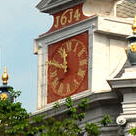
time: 11:48
